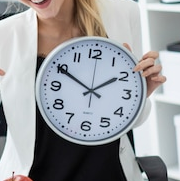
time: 1:50
